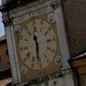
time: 11:31
